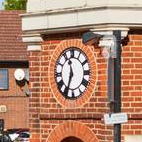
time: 11:33
